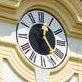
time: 12:23
